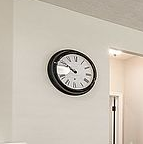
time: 9:50
